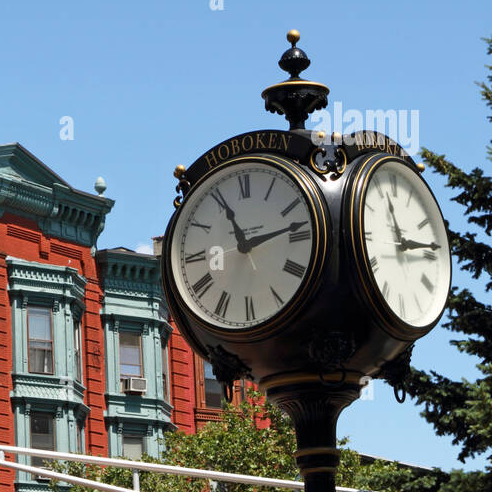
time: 11:13
